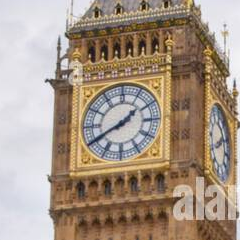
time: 1:40
